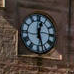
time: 12:26
